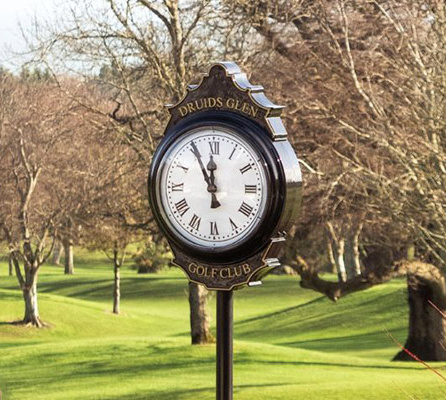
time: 11:55
